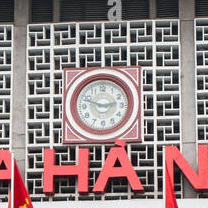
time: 2:48
